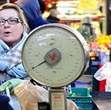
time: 7:39
